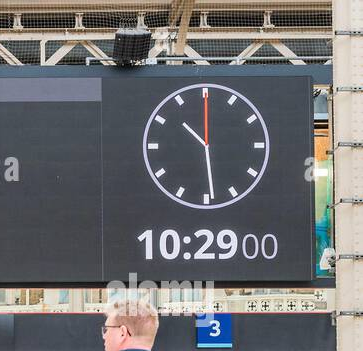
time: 10:28
